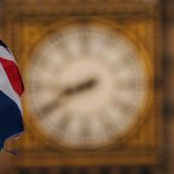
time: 8:40
